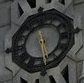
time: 11:28
